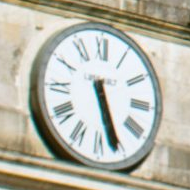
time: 5:26
